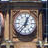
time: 12:36
